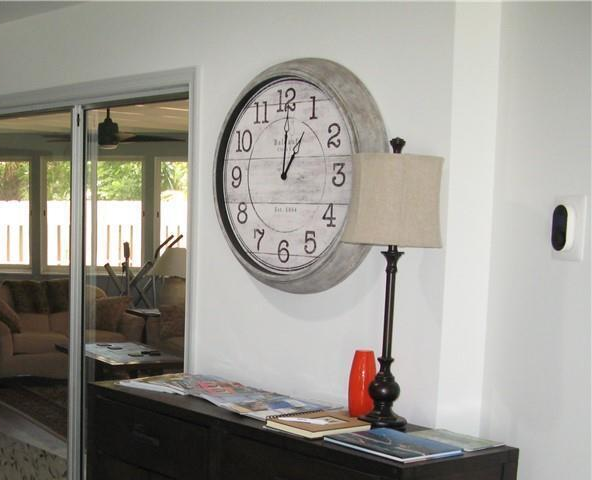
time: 1:00
